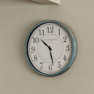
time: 10:28
